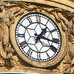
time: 1:16
